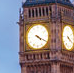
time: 4:19
